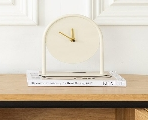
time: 11:50
